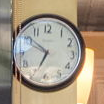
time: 6:51
